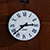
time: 2:38
